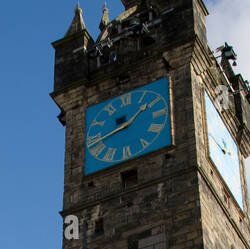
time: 1:42
